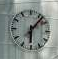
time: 6:06
